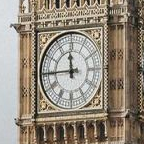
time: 11:44
